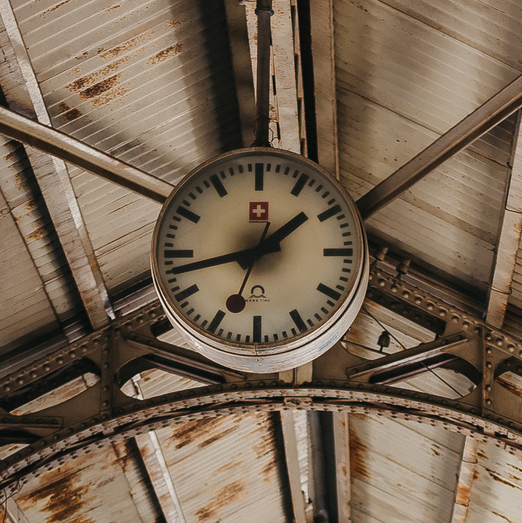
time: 1:42
